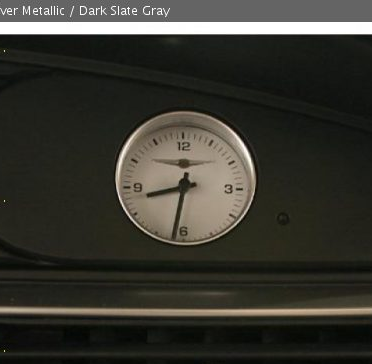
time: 8:32
